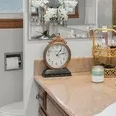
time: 1:12
